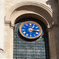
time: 1:16
